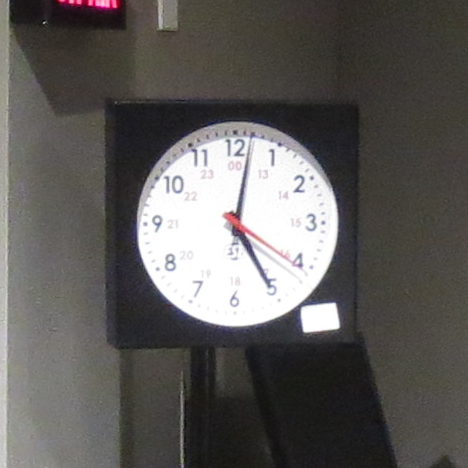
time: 5:01
